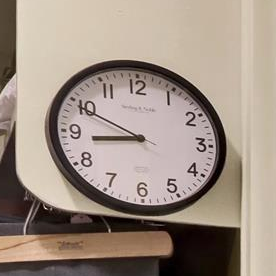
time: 8:49
